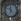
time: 6:58
